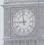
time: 8:58
